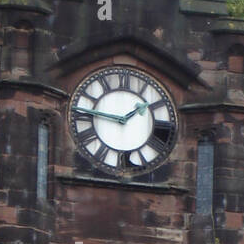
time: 1:46
